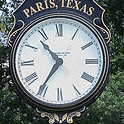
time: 10:35
